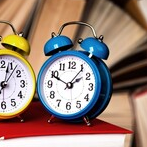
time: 1:49
